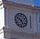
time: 4:50
